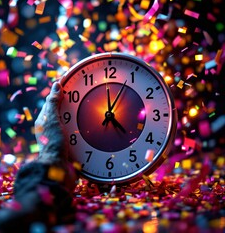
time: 4:04
